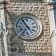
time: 4:54
